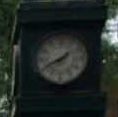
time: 1:40
